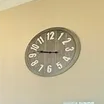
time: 9:47
